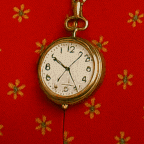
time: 10:06
